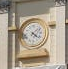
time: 4:07
